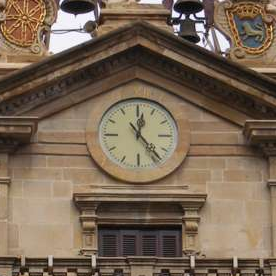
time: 12:23
